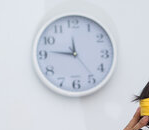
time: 11:46
